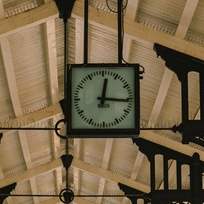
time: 12:15
